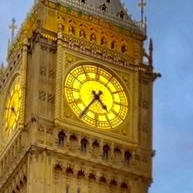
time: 4:36
